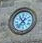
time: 10:36
